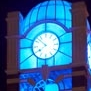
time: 7:52
